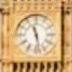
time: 11:28
